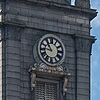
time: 10:46
